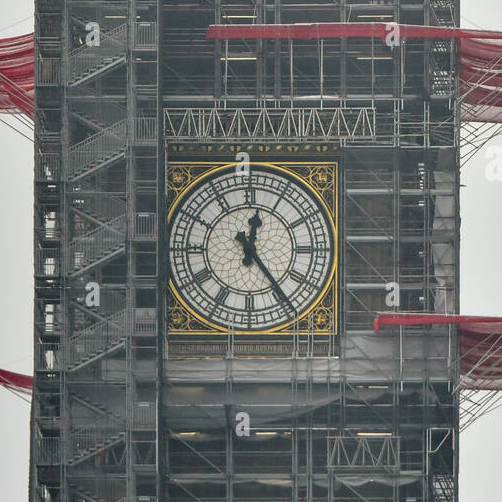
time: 12:23
